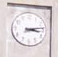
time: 3:13
